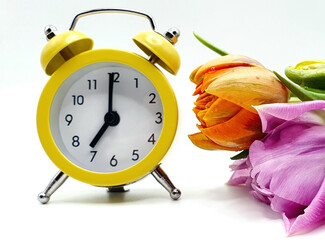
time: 7:00
